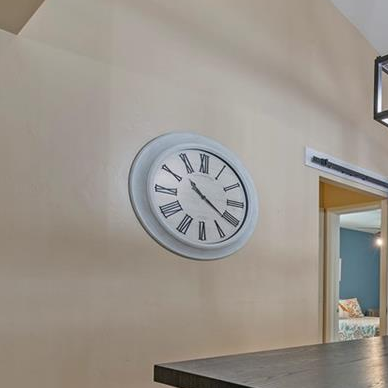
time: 10:20
